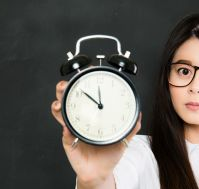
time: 11:51
